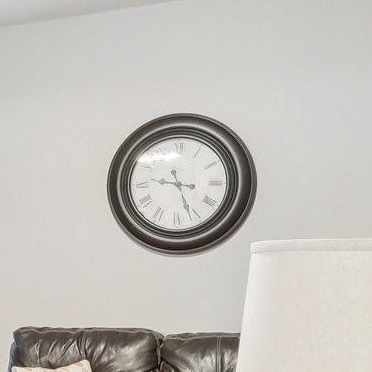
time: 9:26
